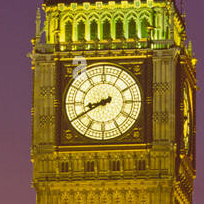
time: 8:40
